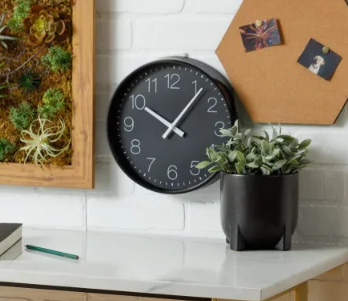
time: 10:06
